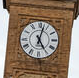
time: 5:02
